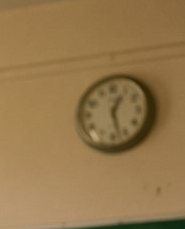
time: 12:27
